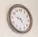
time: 9:23
